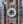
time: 8:01
